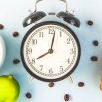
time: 8:02
